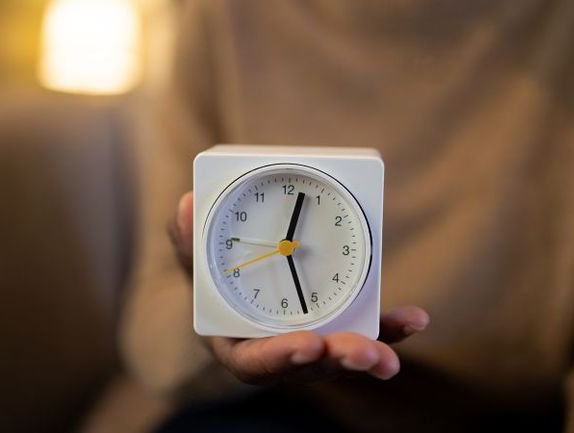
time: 12:26
